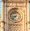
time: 8:37
